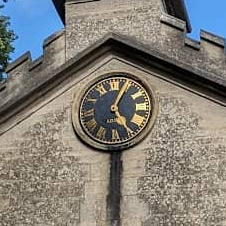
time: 5:03
